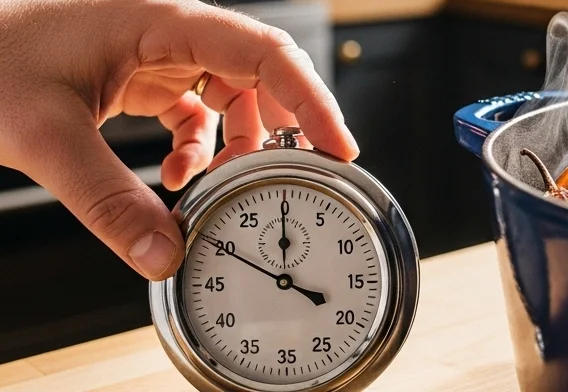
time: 3:49
